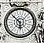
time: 5:51
